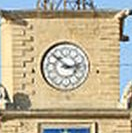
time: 2:52
